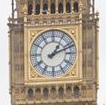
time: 1:11
